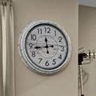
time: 11:43
